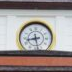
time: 8:28
